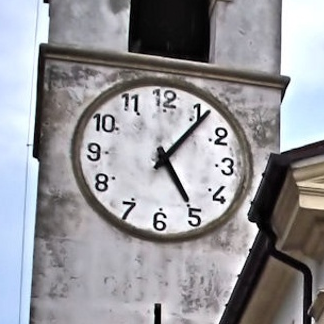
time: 5:06
